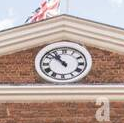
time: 10:52
